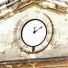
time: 12:09
